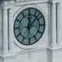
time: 12:07
